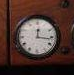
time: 12:16
